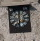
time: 5:59
